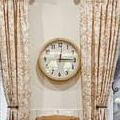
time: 12:14
